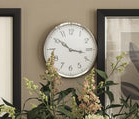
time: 10:16
